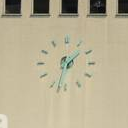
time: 1:32
